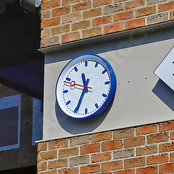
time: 11:34
